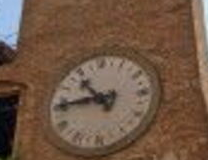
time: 10:45
